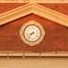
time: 8:37
